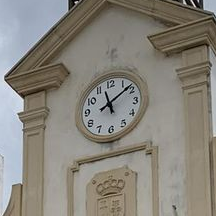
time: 11:08
